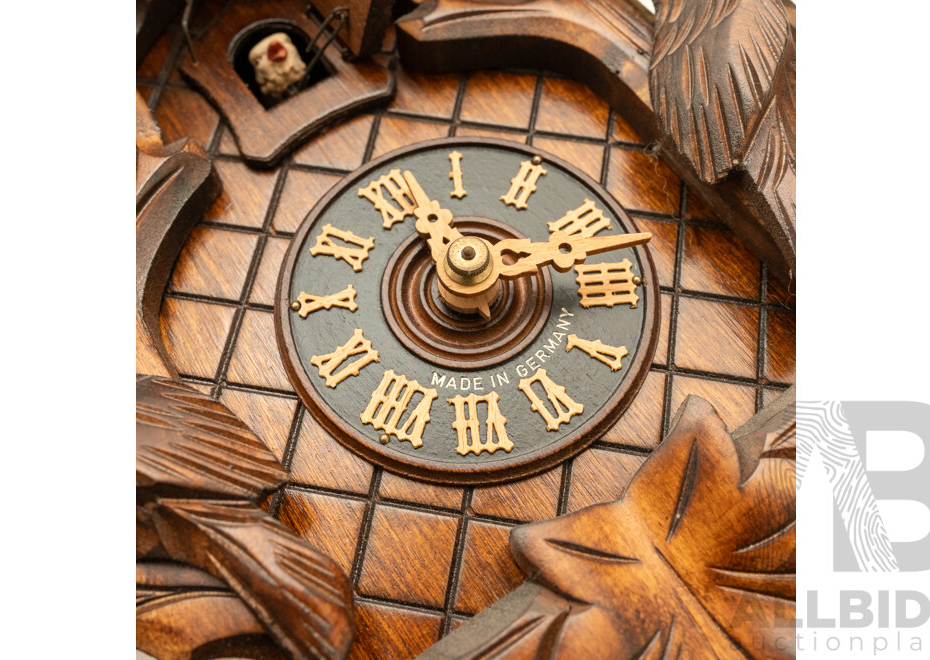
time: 11:13
